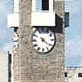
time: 10:21
